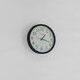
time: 1:17
